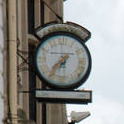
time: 7:36
